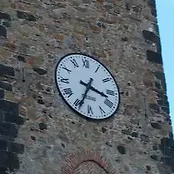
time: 3:34
